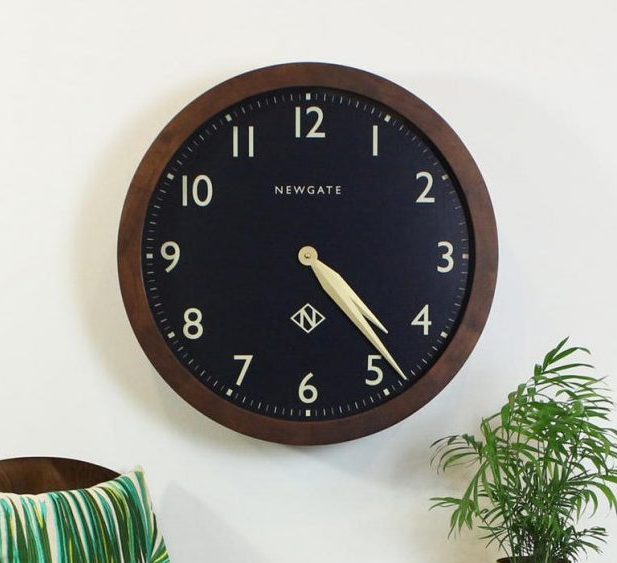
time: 4:23
